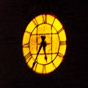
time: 5:35
